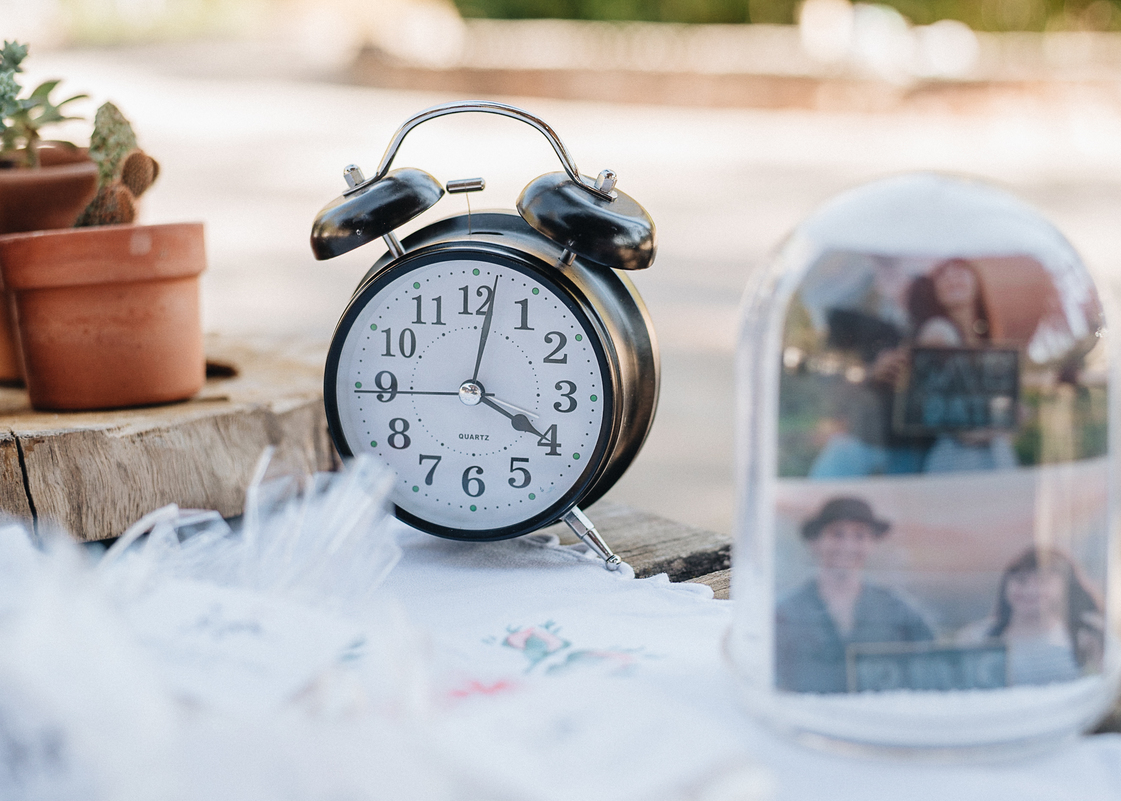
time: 4:02
